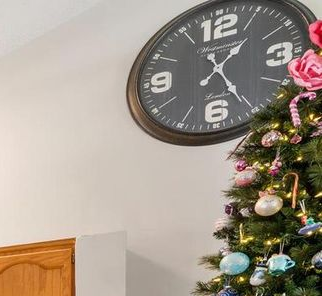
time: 1:25
